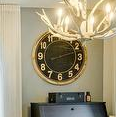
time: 2:12
